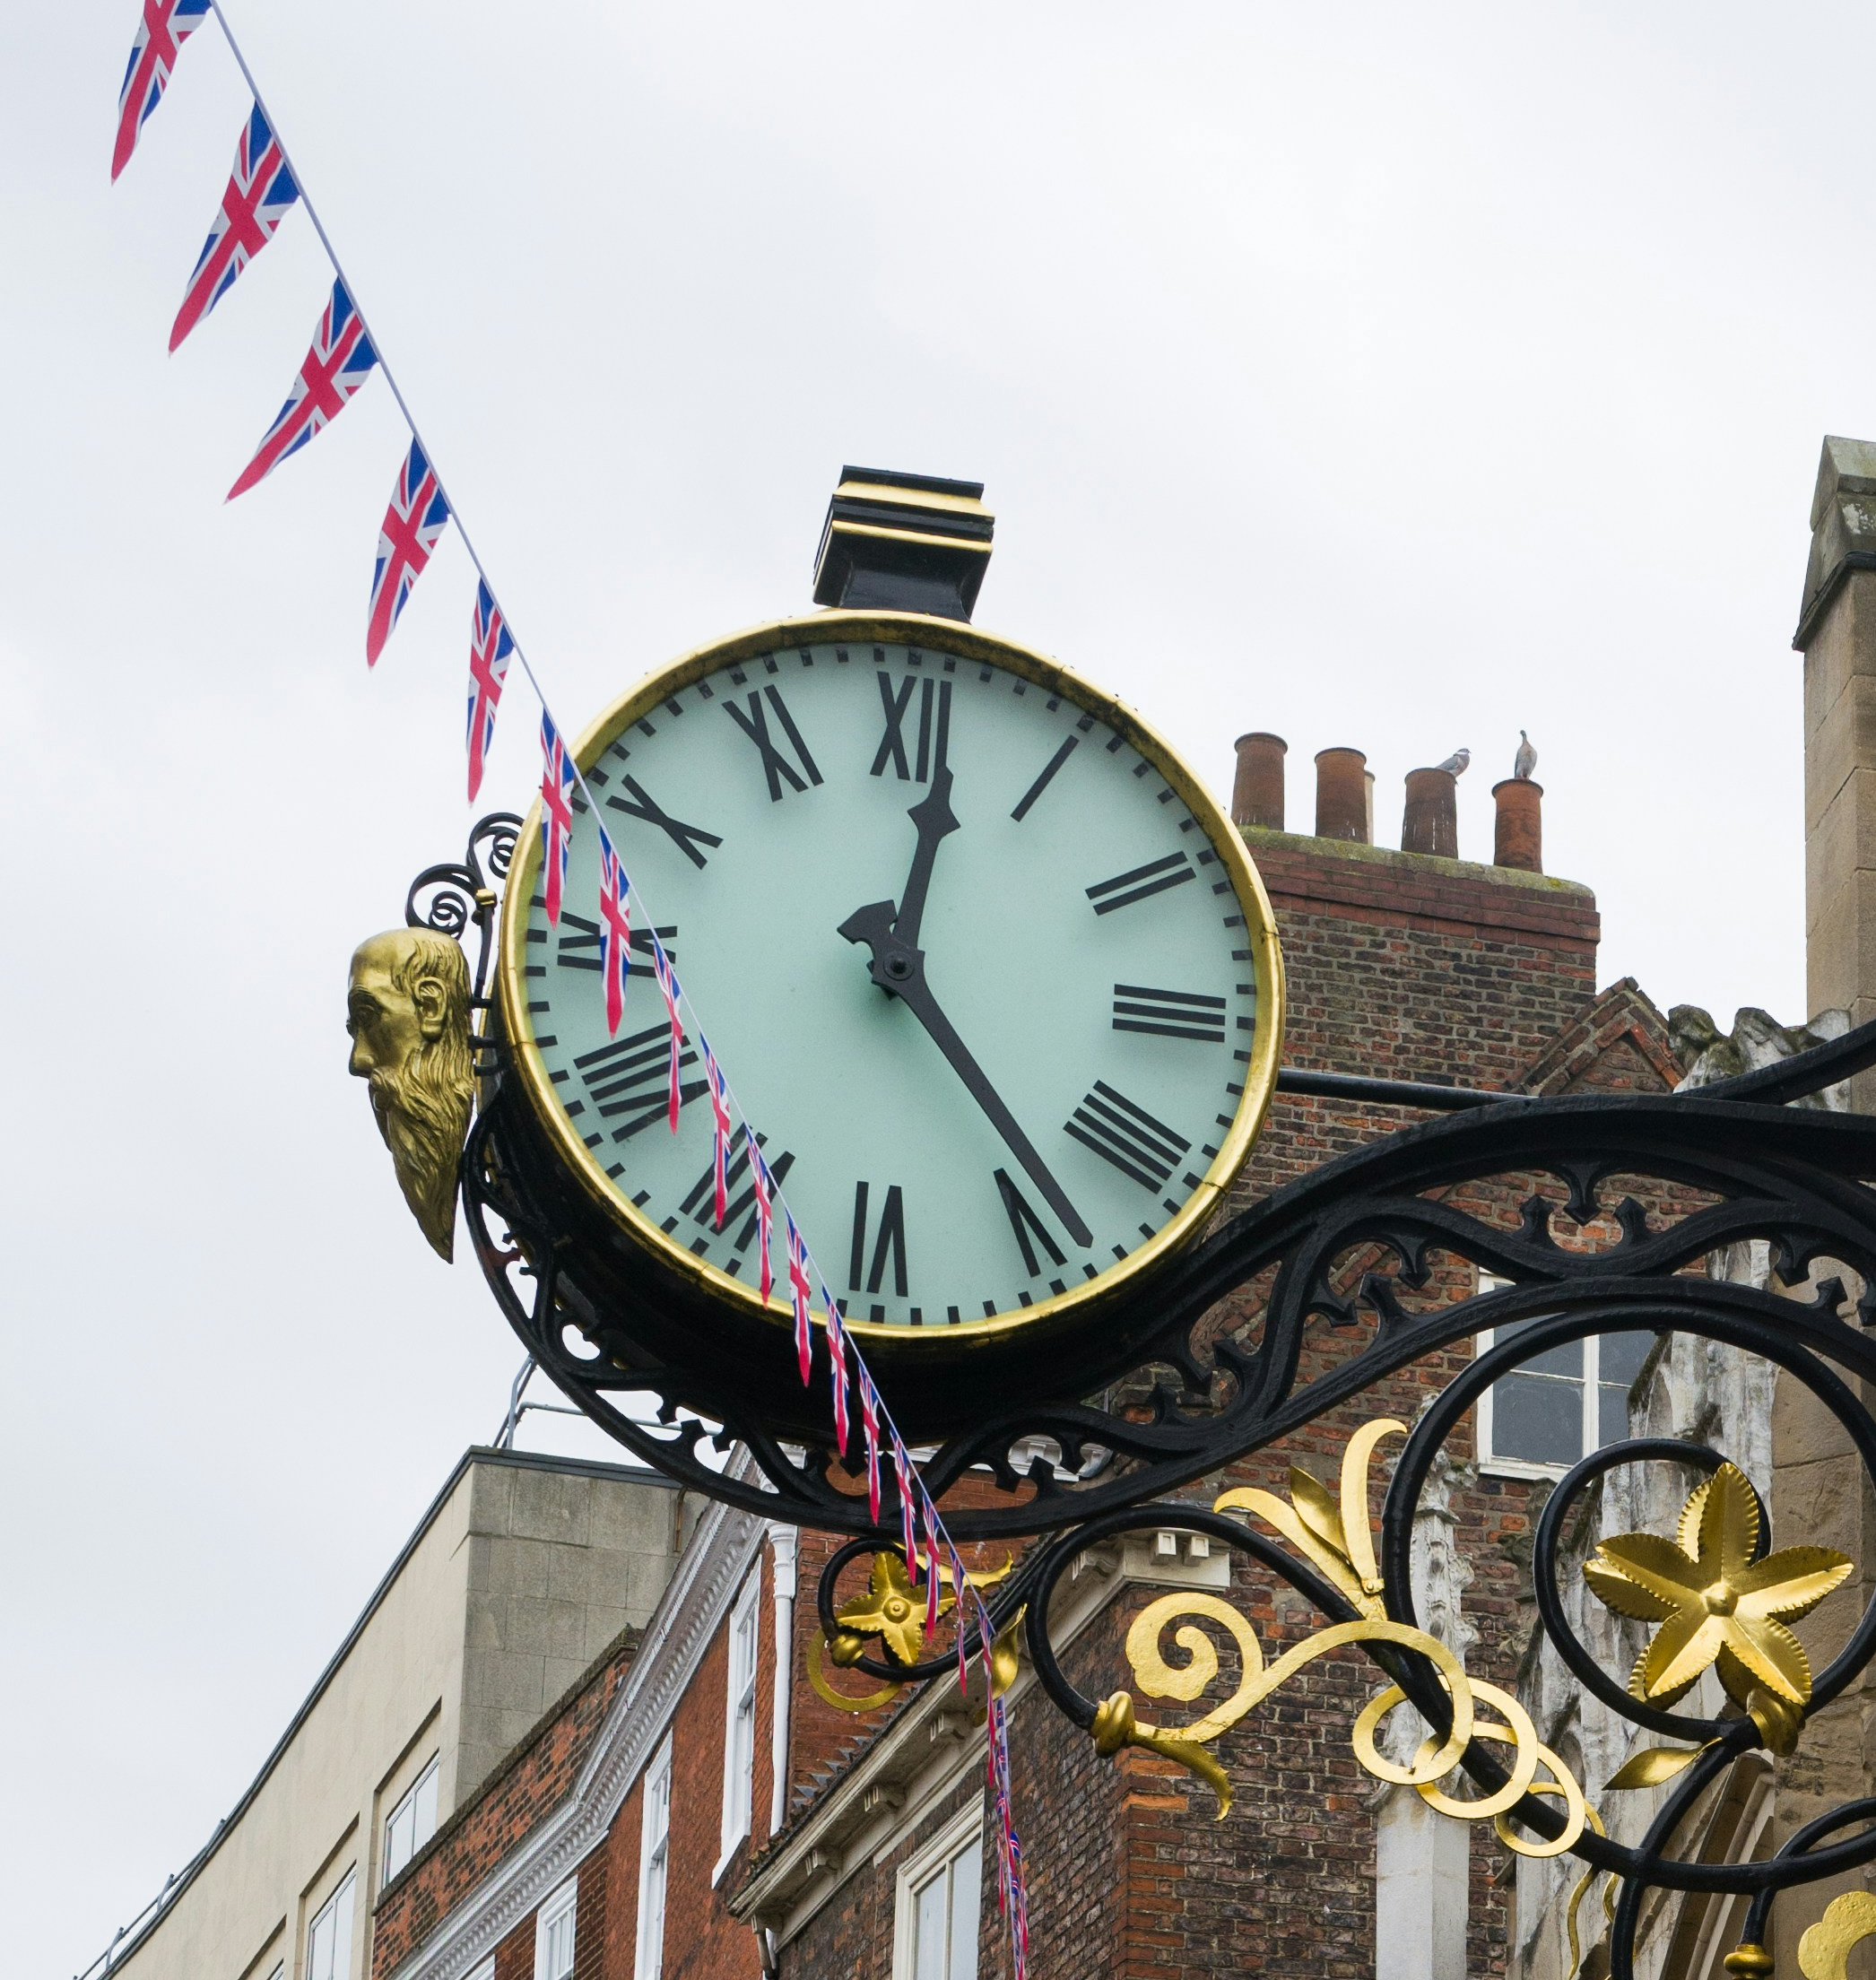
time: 12:23
